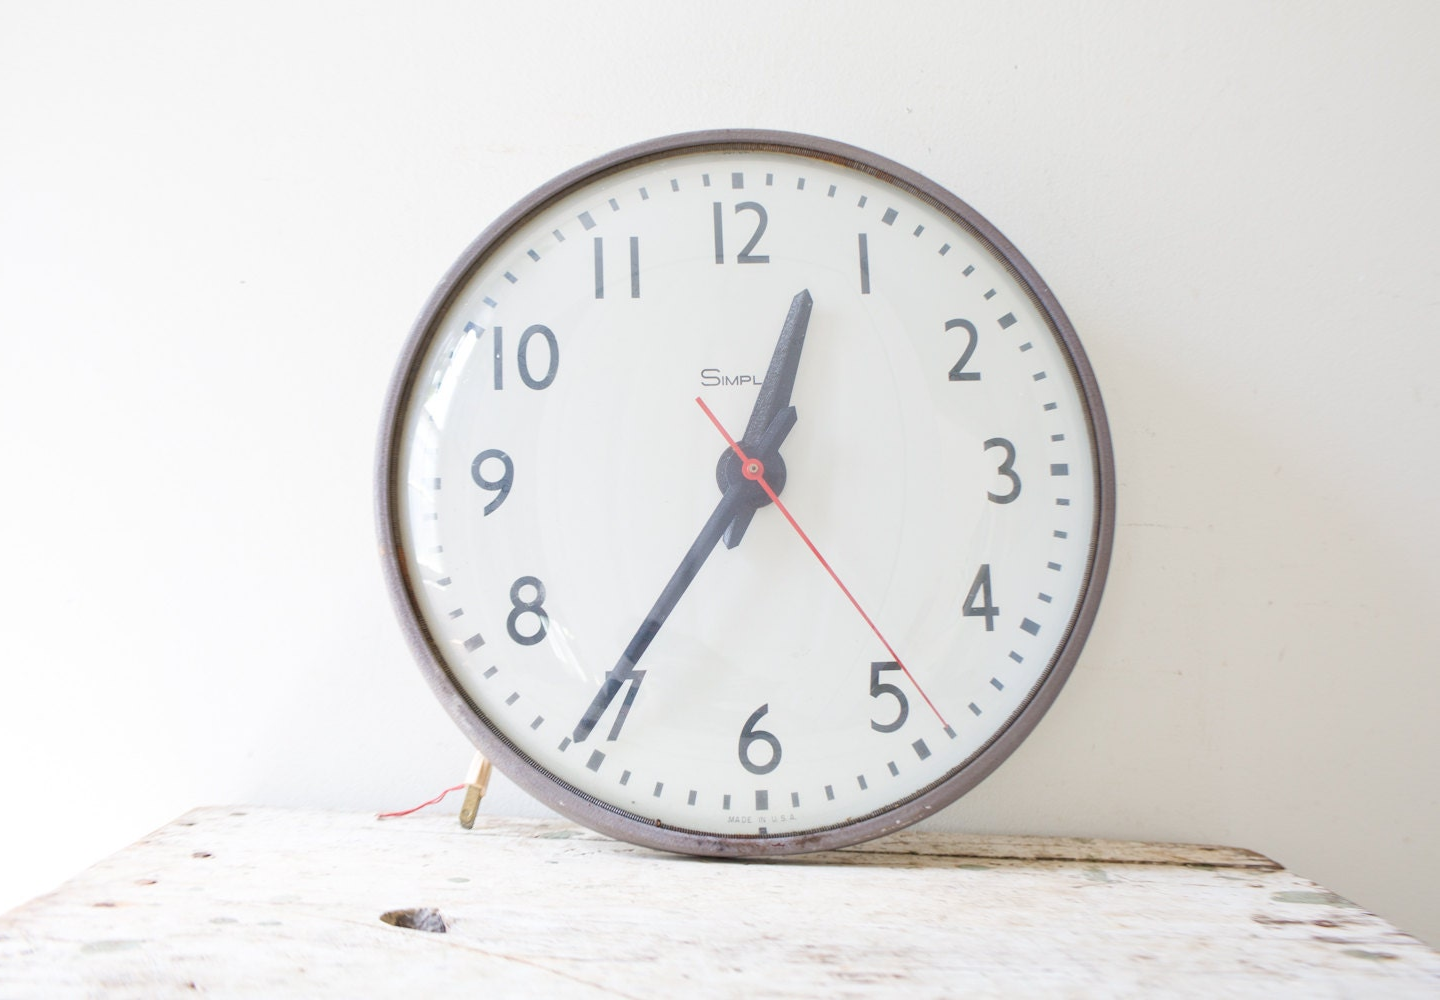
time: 12:35
